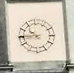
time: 10:45
